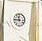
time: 11:45
